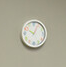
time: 10:04
